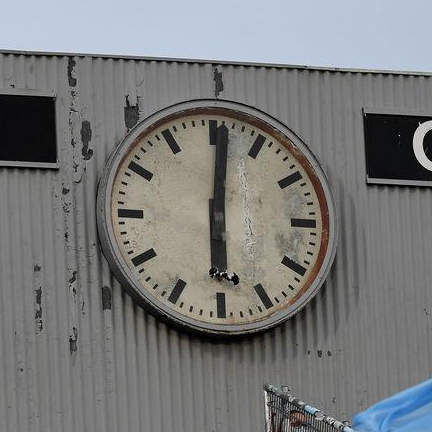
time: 6:00
